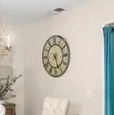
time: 5:26
